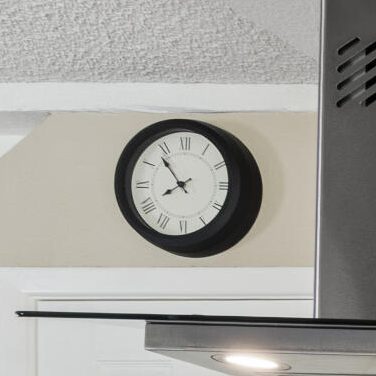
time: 7:53
